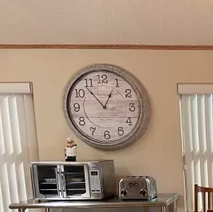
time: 12:53
